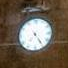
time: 7:24
